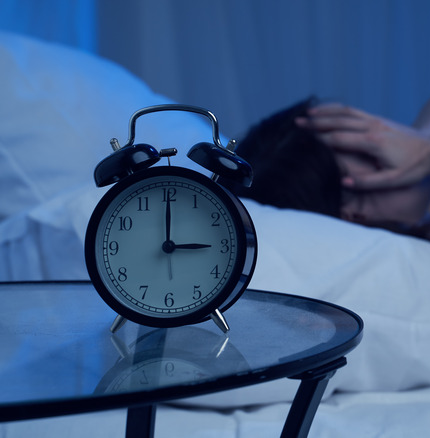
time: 3:00
